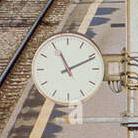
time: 11:11
